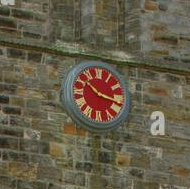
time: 10:17
